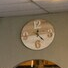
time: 4:42
